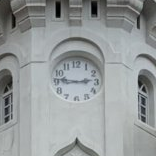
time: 2:46
